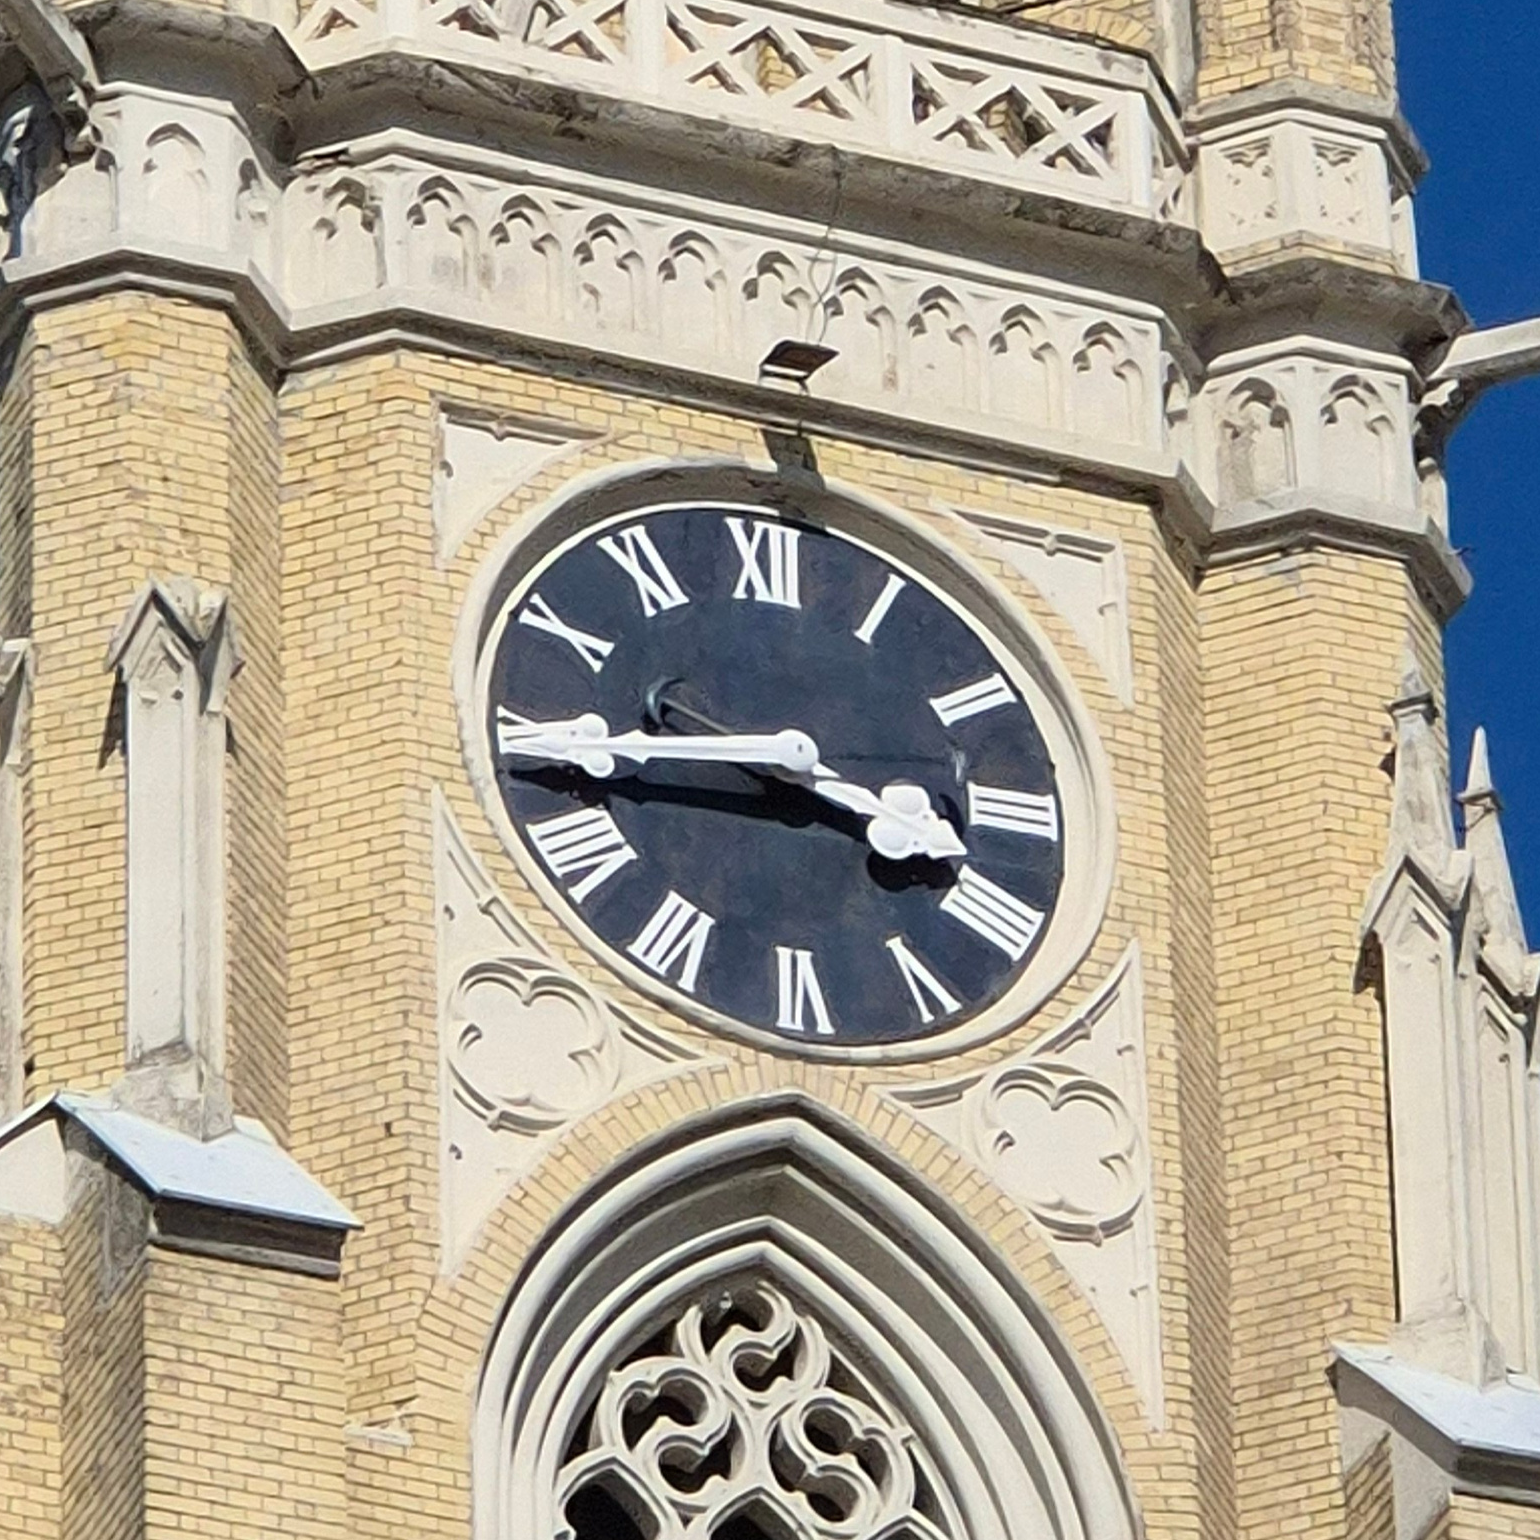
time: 3:44
